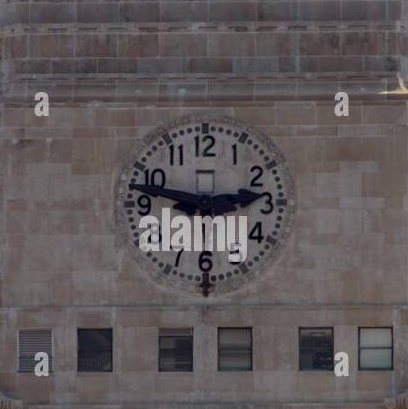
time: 2:47
